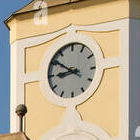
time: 8:50
